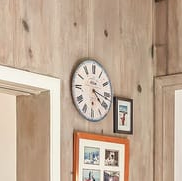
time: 4:16
